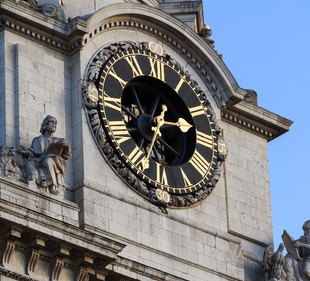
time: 2:33
